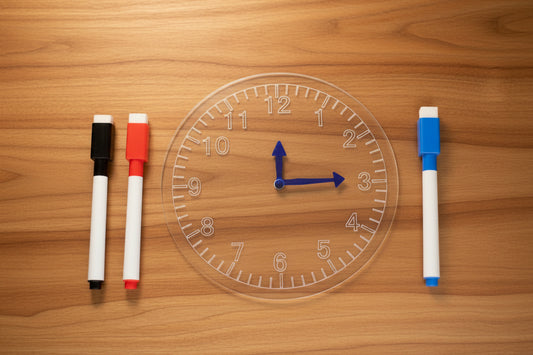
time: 12:14
